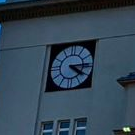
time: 4:14
